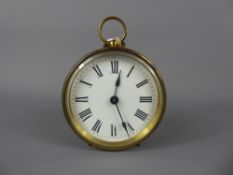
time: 12:26
